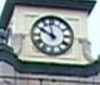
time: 9:58
